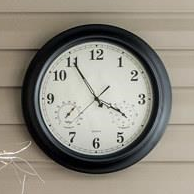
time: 3:54
